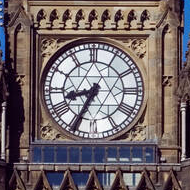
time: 8:34
